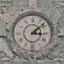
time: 3:08
